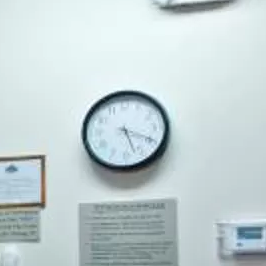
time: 5:19
